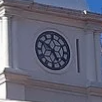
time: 4:50
